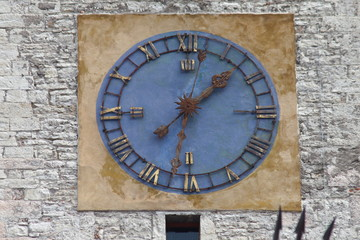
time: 1:32
